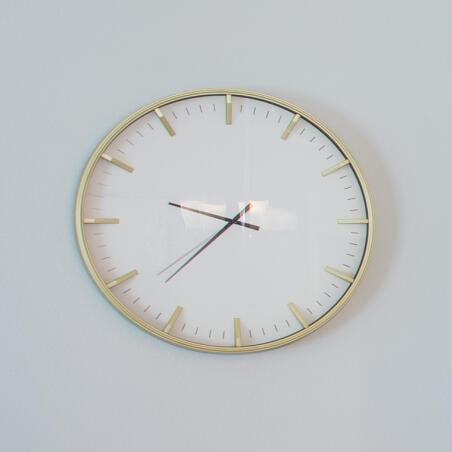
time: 9:37
